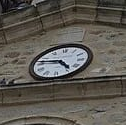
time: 4:46
